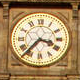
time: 3:37
